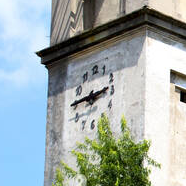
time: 2:45
